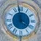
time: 3:58
